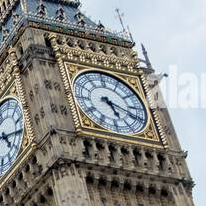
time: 5:18
